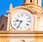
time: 9:34
